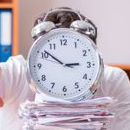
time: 2:51
